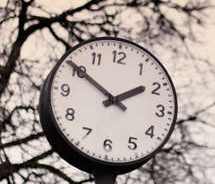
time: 1:50
